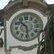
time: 10:28
